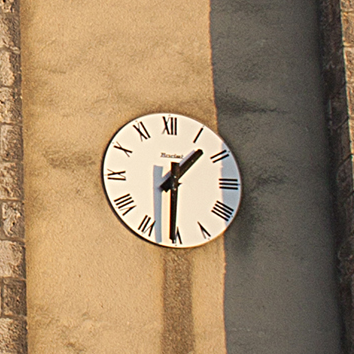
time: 1:30
